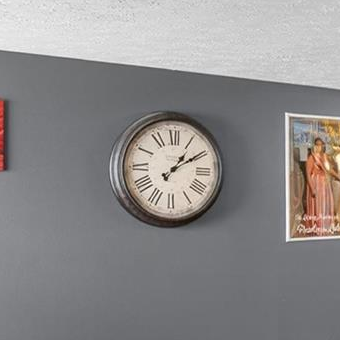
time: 1:09
